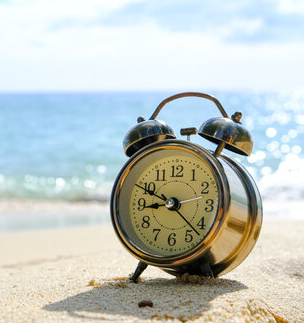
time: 8:49
